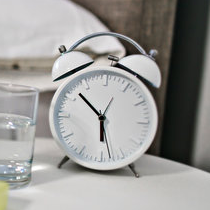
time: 5:52
